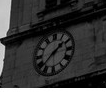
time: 1:37
